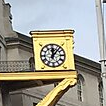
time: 12:06
